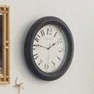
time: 1:46
